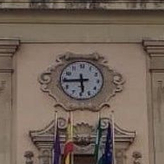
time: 5:44
